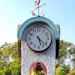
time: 5:21
